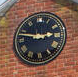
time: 2:46
